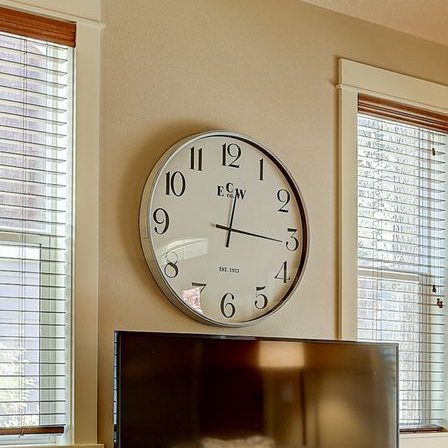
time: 12:15
